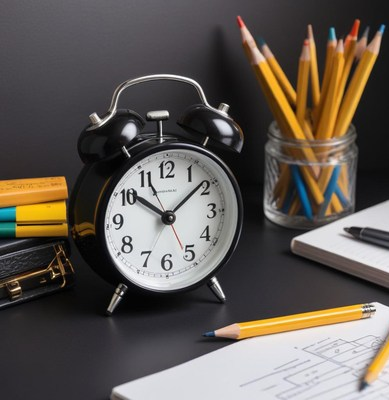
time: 10:08
